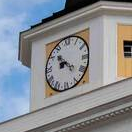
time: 8:52
